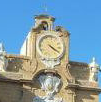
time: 4:20
